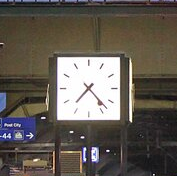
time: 7:23
